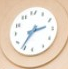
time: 2:36
